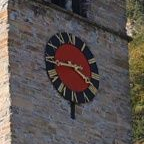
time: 3:44
